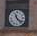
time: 11:22
